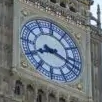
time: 8:17
